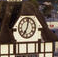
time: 7:02
